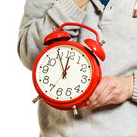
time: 11:54
